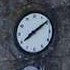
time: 8:09
